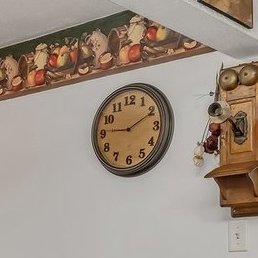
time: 9:10
